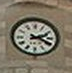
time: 2:19
